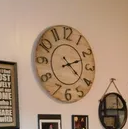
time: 2:21
